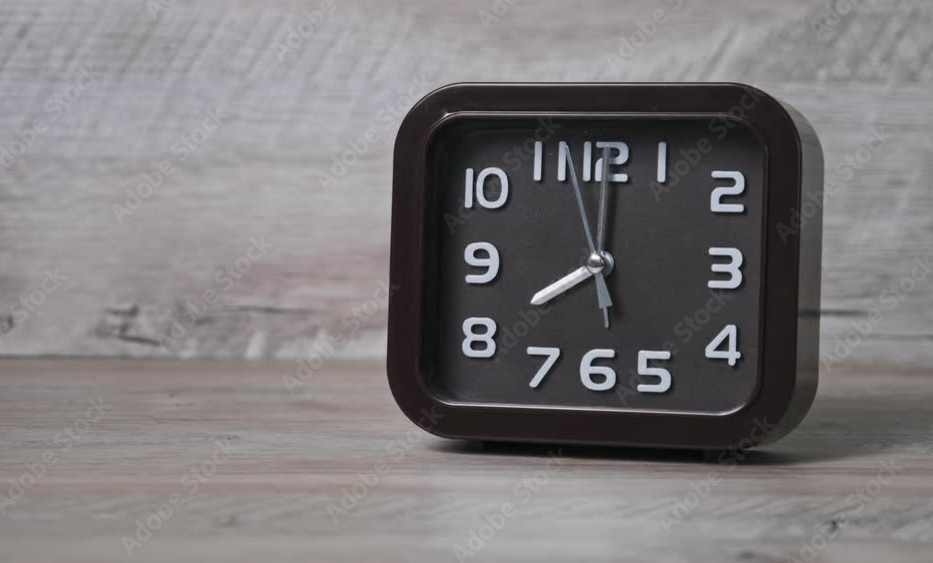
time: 8:00
